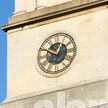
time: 12:49
